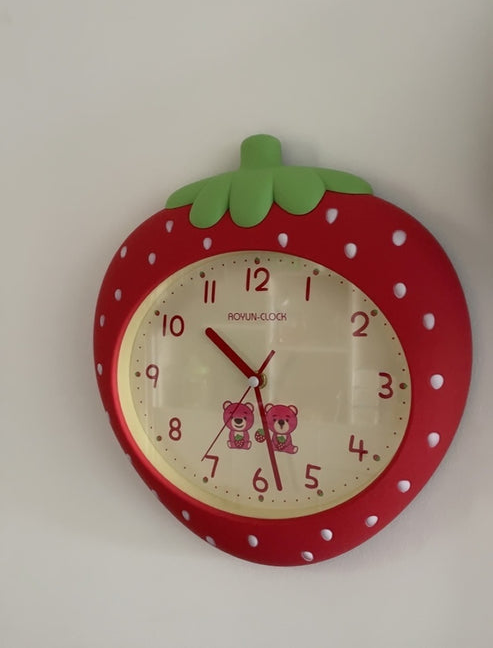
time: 10:27
